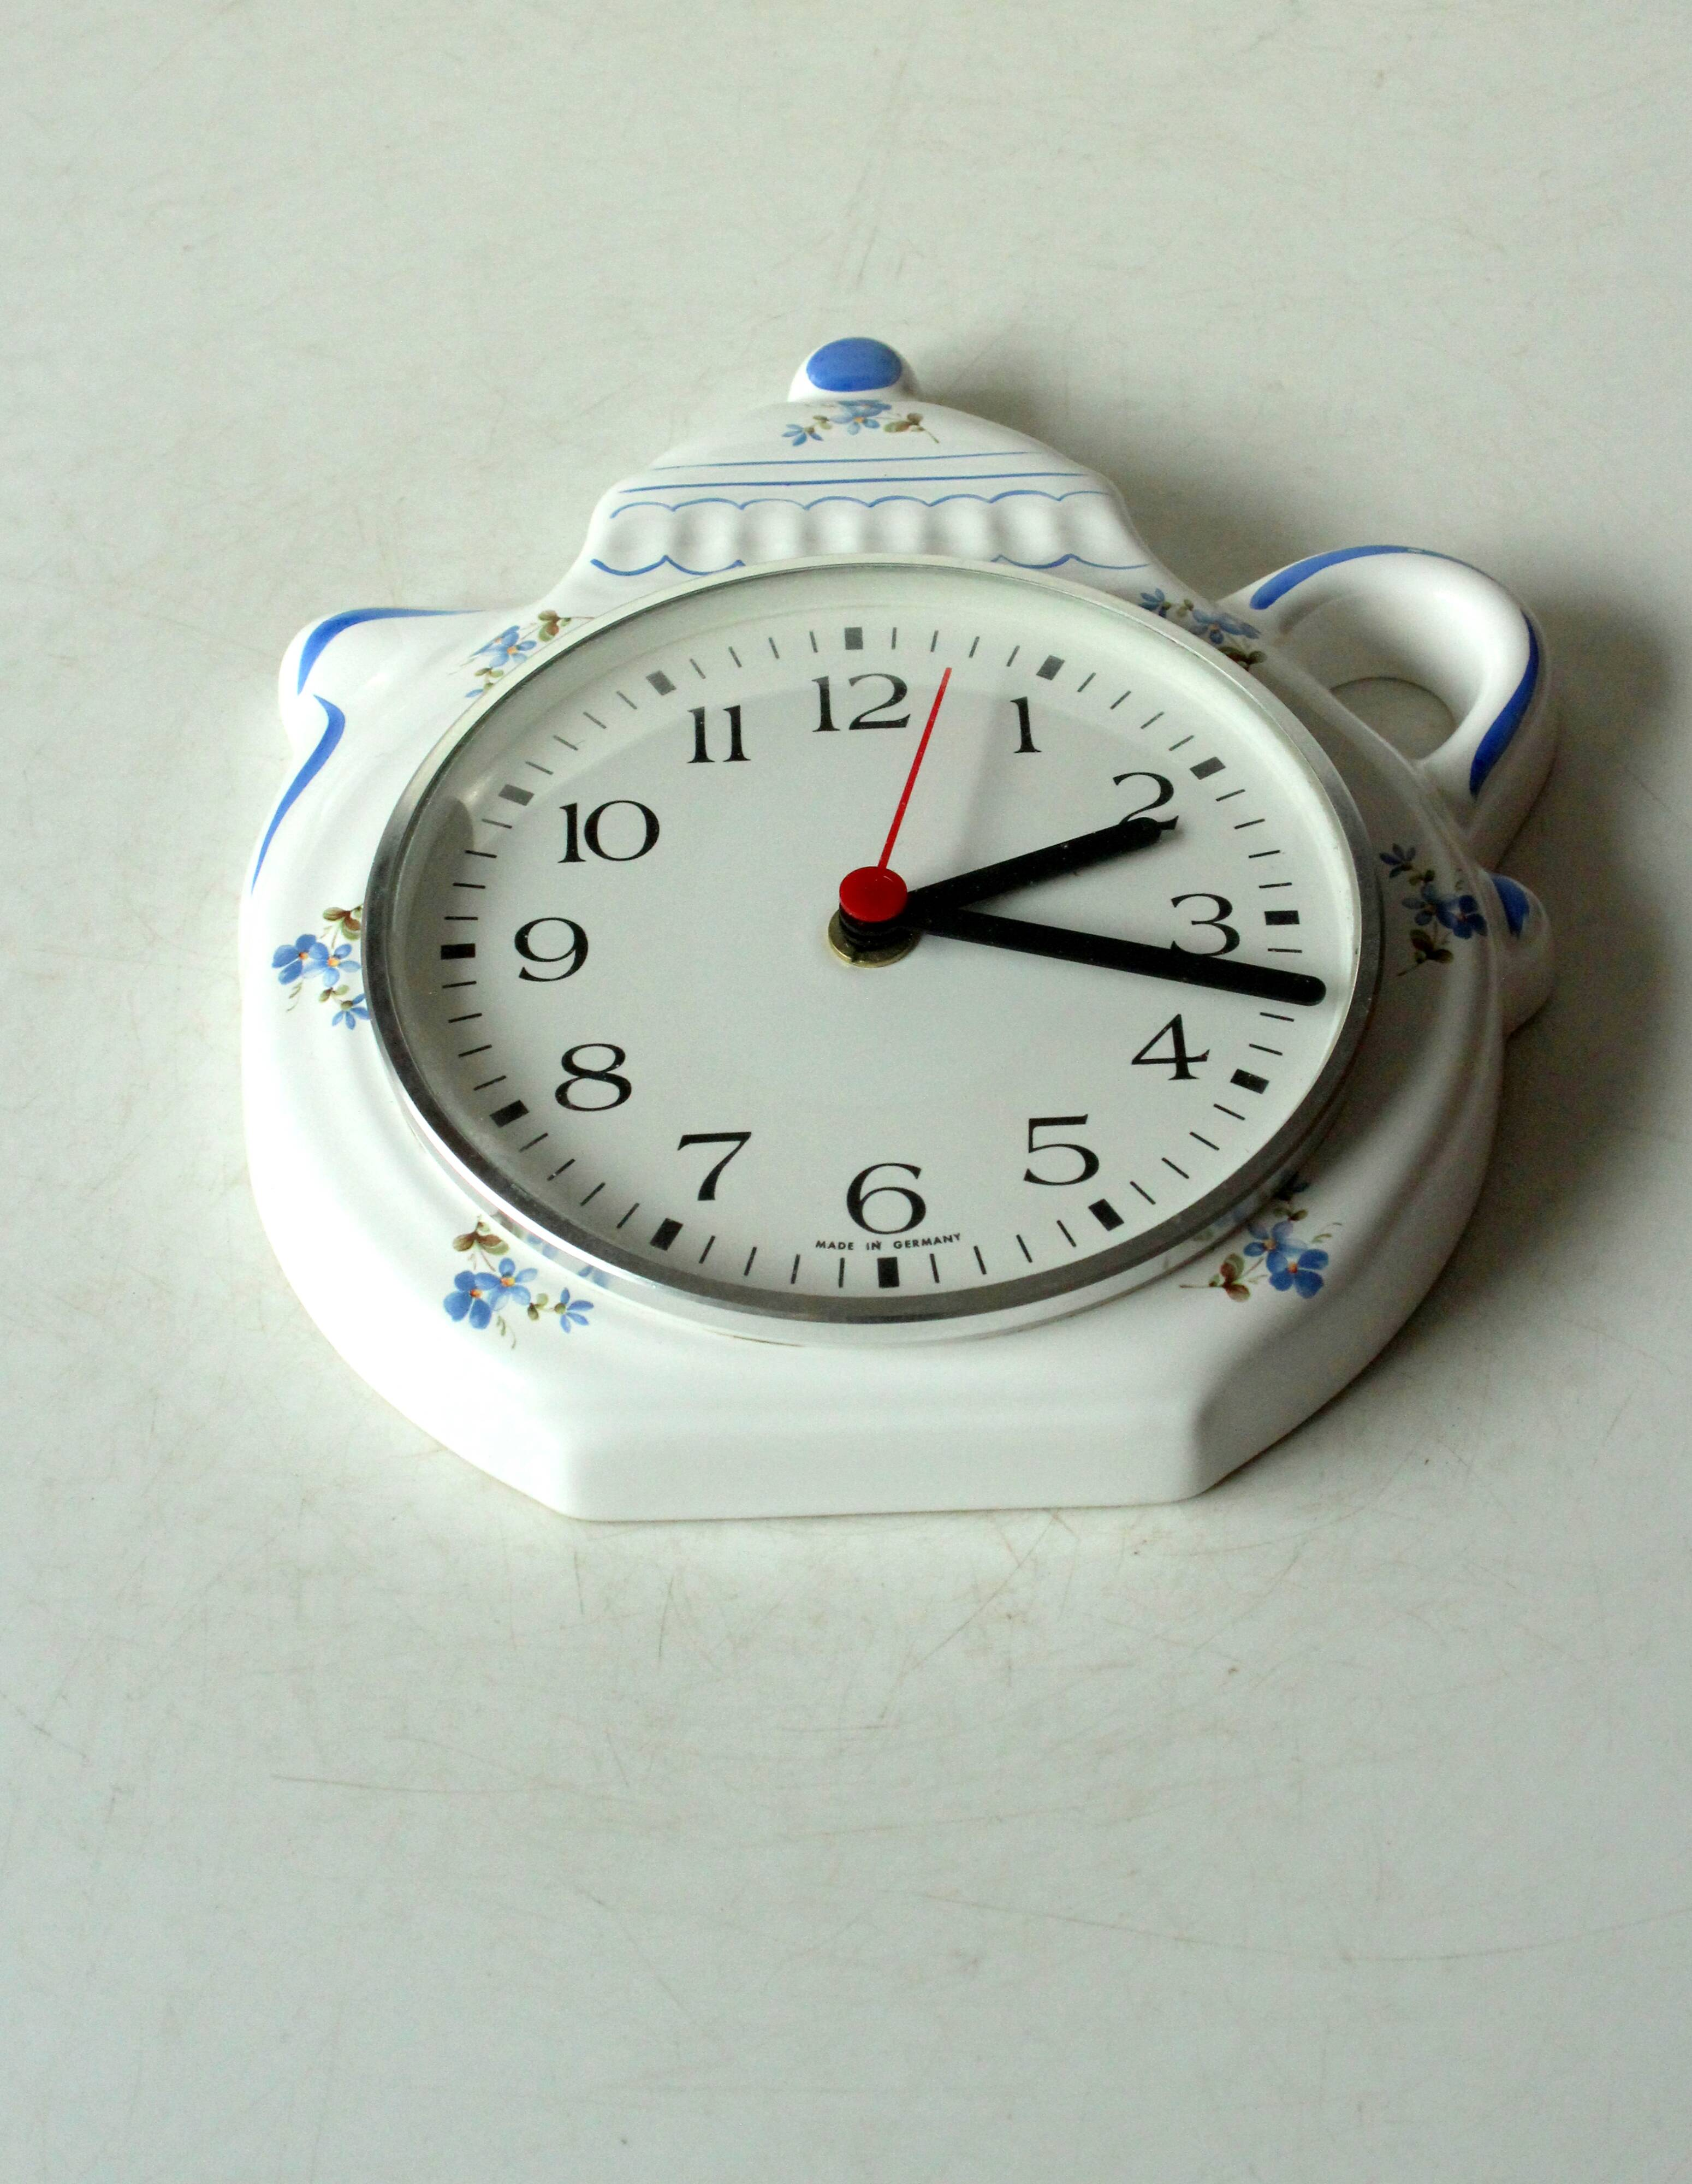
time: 2:17
